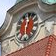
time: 12:28
